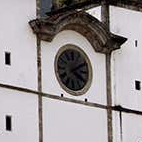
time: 4:10
